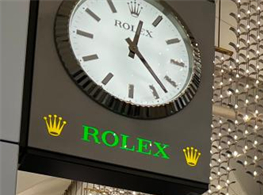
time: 12:22
